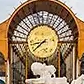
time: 8:38
